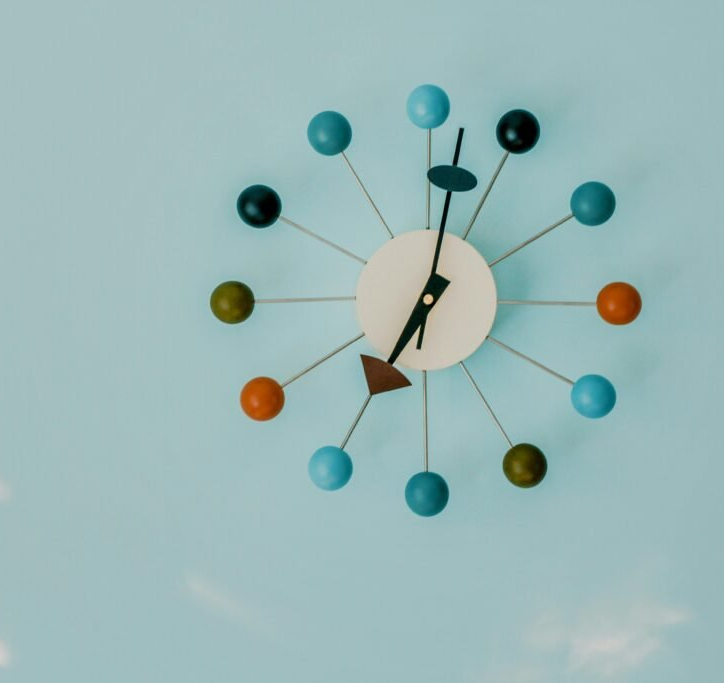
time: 7:01
